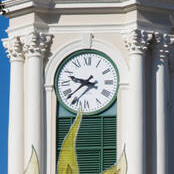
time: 9:38
